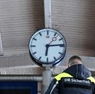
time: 6:14
